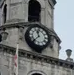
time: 11:37
